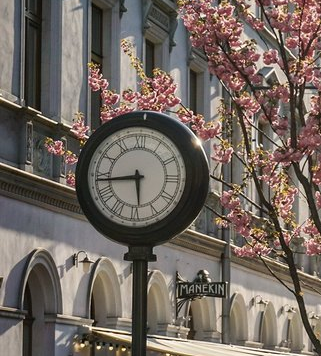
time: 5:43
